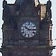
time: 10:15
